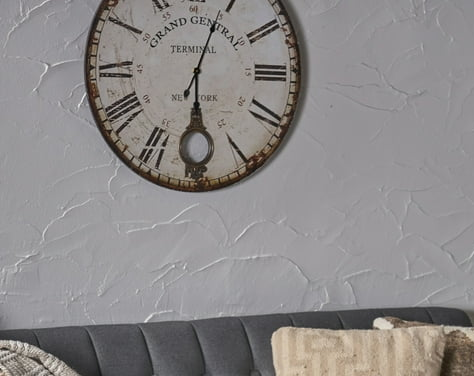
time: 6:03
